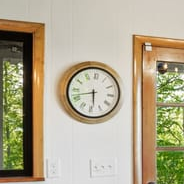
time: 5:42
